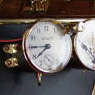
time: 7:44
